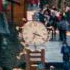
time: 3:33
